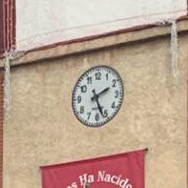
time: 2:26
